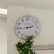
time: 2:44
